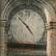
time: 4:52
